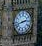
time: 2:42
